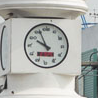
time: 9:56
